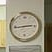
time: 2:44
